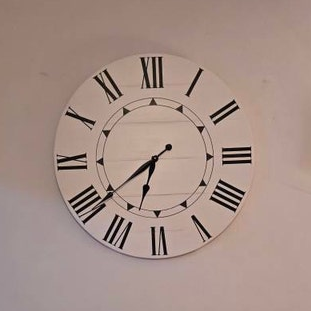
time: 6:39
